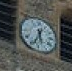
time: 5:33
